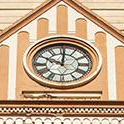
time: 10:00
